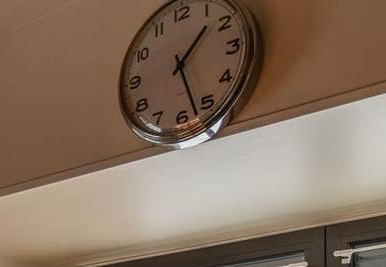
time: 1:27
